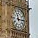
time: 11:14
